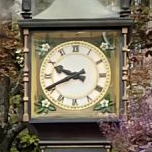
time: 9:41
